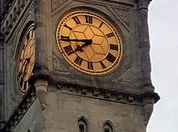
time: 7:43
